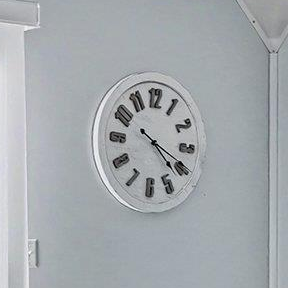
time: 4:19
